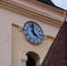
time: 3:58
